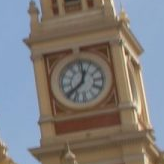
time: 12:38
